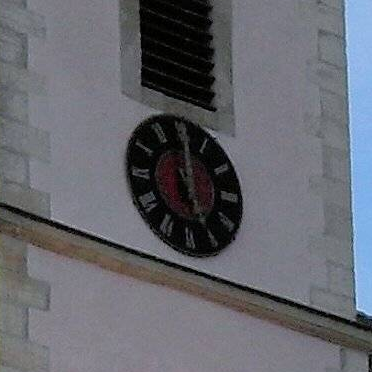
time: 5:00
